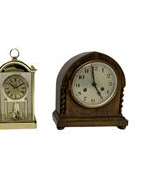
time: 4:58
